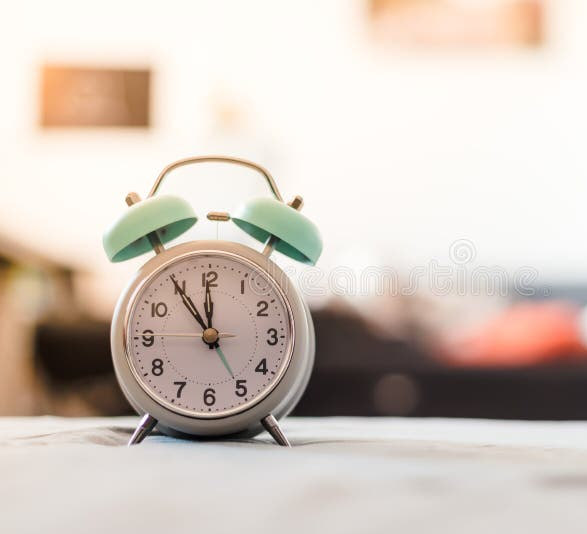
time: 11:54
